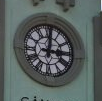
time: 3:01
